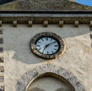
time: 7:09
